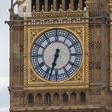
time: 6:32
